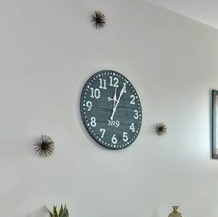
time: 12:04
